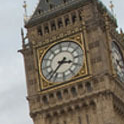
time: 3:37
